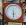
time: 5:30
